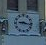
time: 9:17
